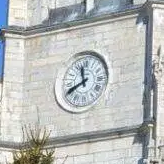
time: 11:40
